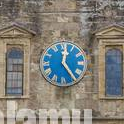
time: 12:24
